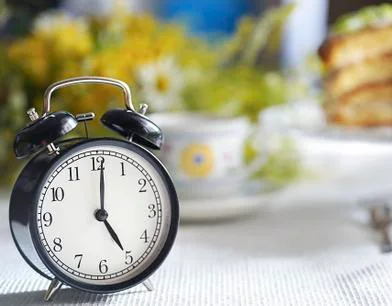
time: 5:01
